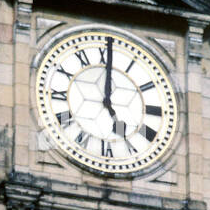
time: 5:00
